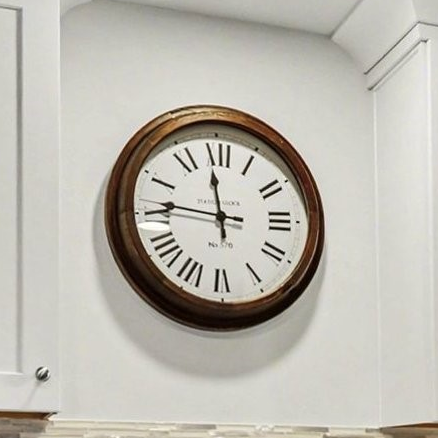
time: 11:45
